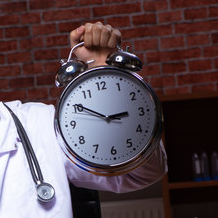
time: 2:50
